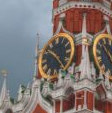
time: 10:23
